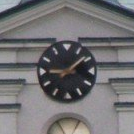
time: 9:08
